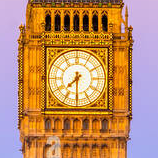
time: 7:30
